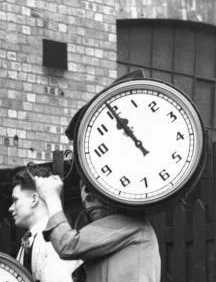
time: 10:55
